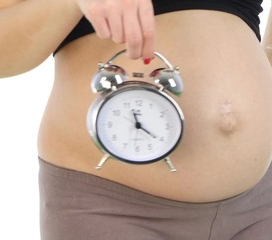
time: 11:20
